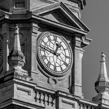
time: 12:46
